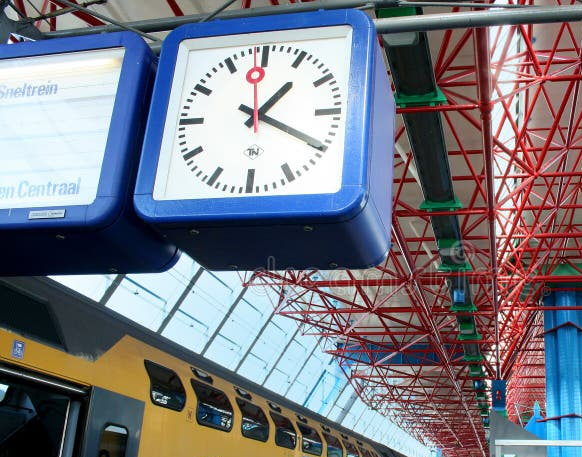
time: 1:19
